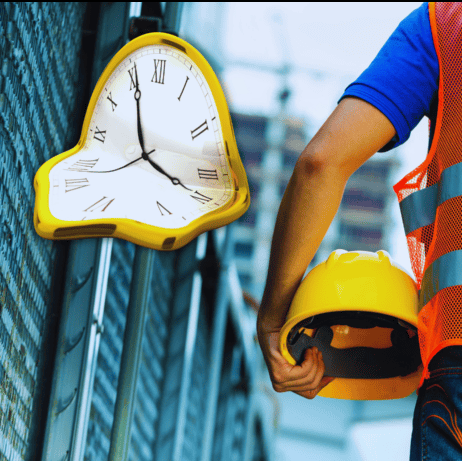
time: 3:55
